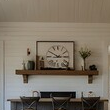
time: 2:50
